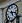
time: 5:18
